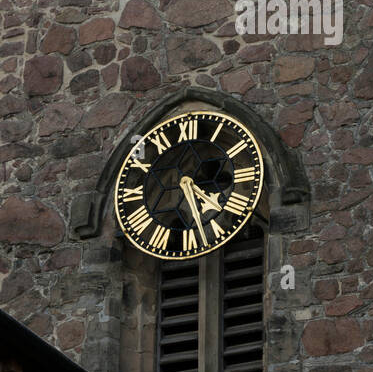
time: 4:27
